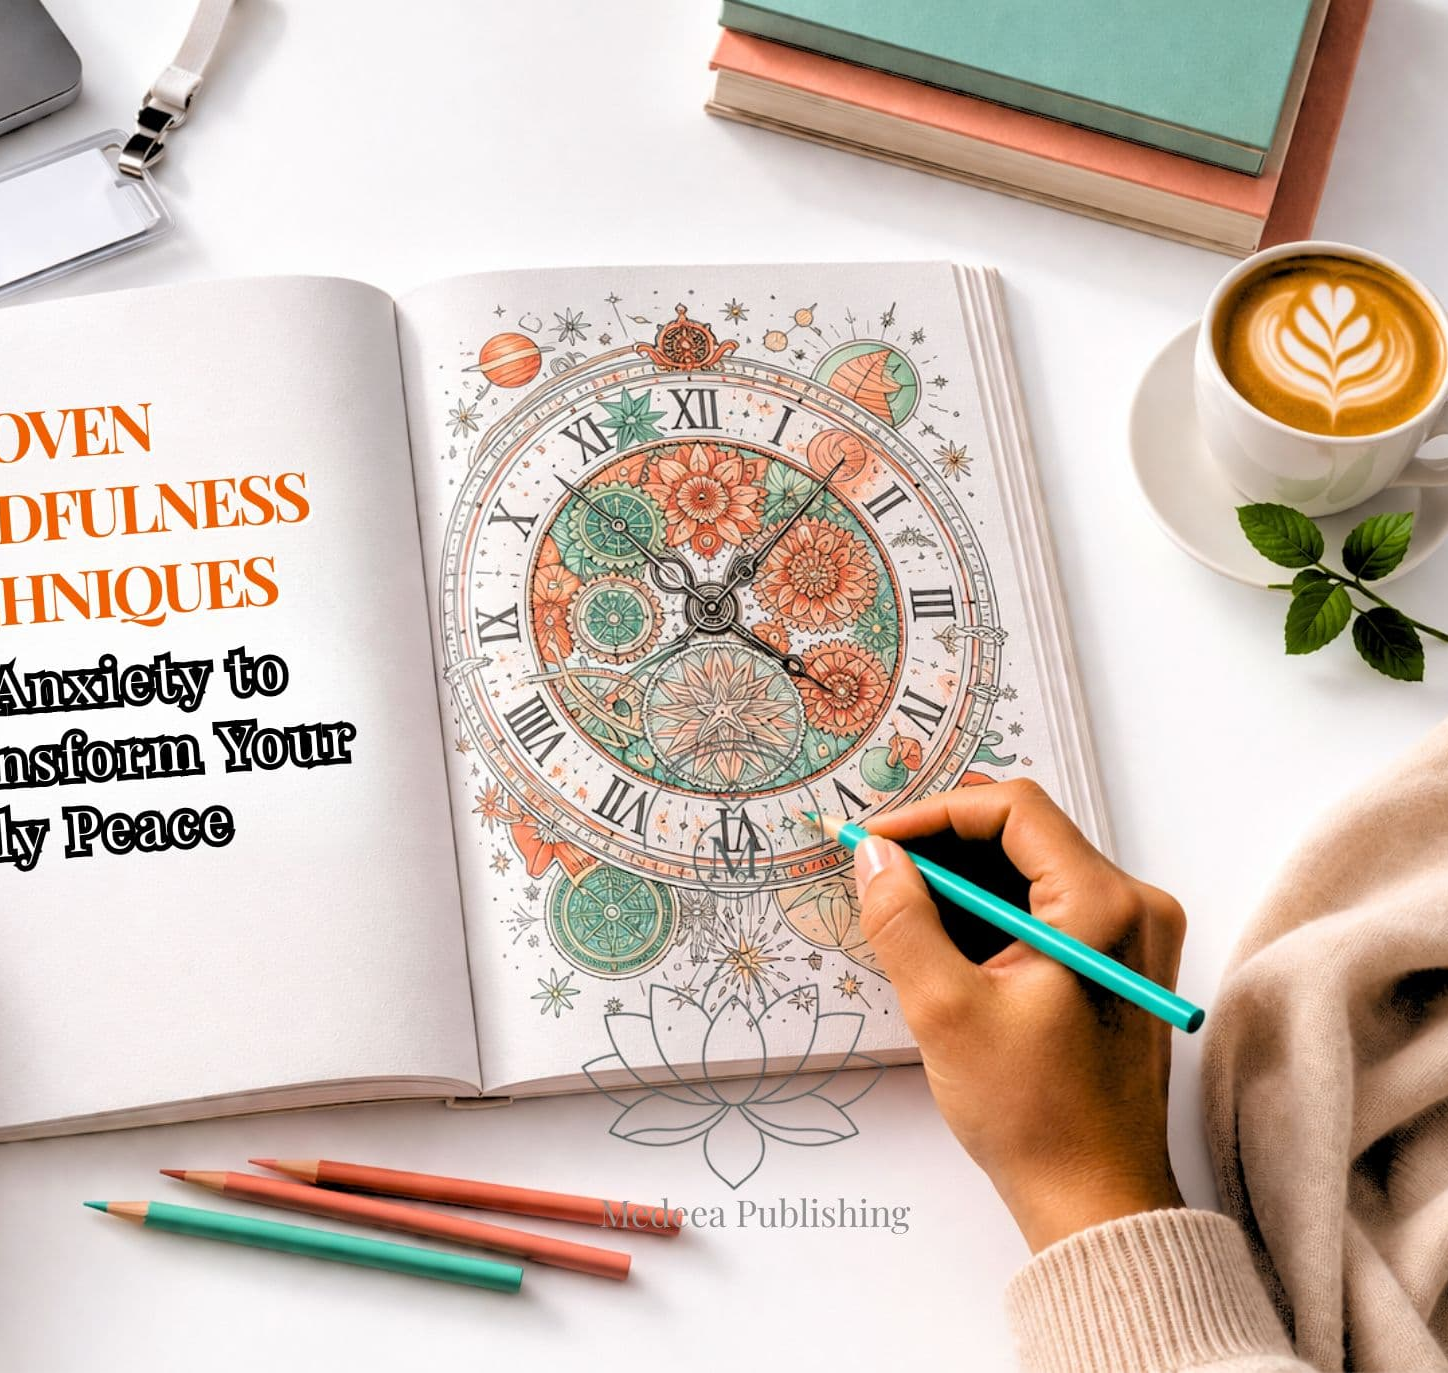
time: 4:07
